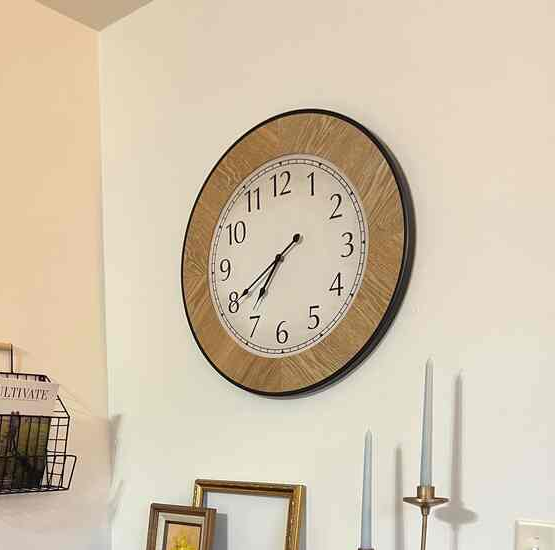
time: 7:40
